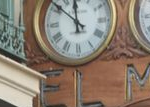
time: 11:51
